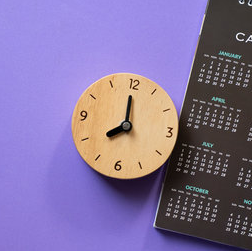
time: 7:59
